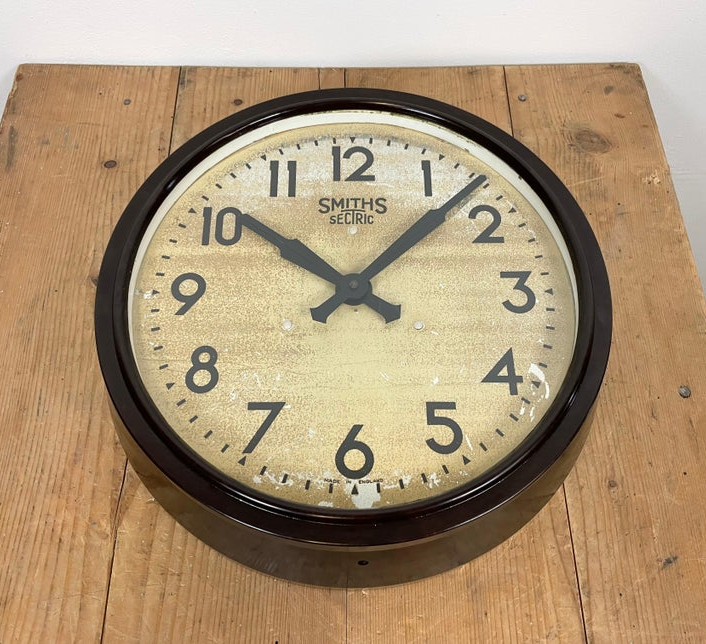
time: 10:07
